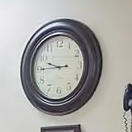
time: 9:44
